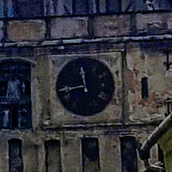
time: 11:42
